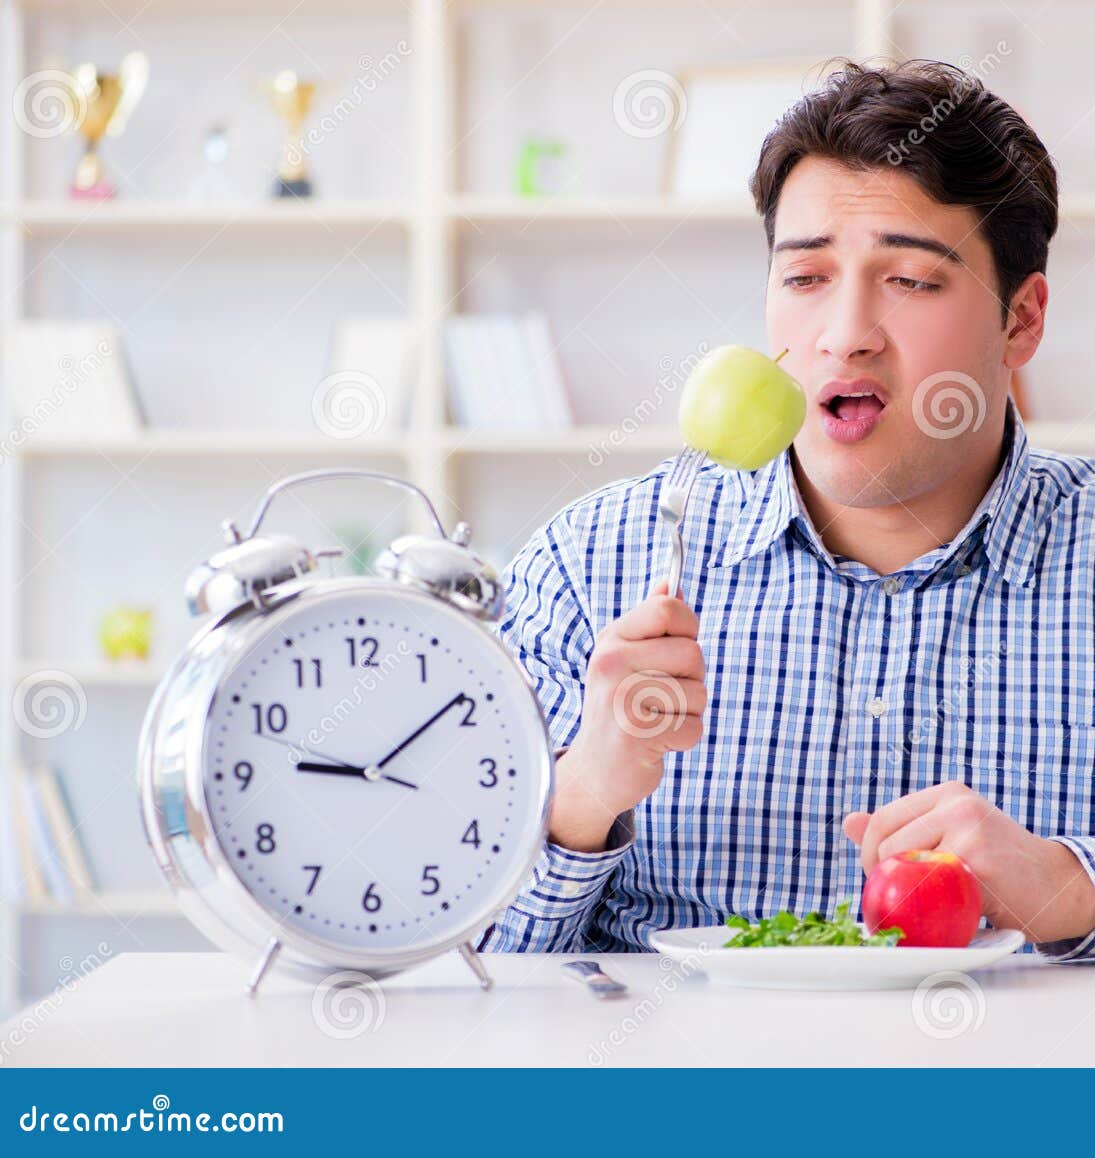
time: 9:09
